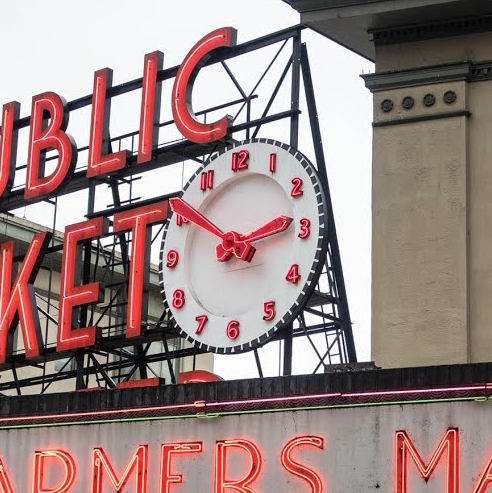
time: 2:50
